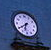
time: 6:39
